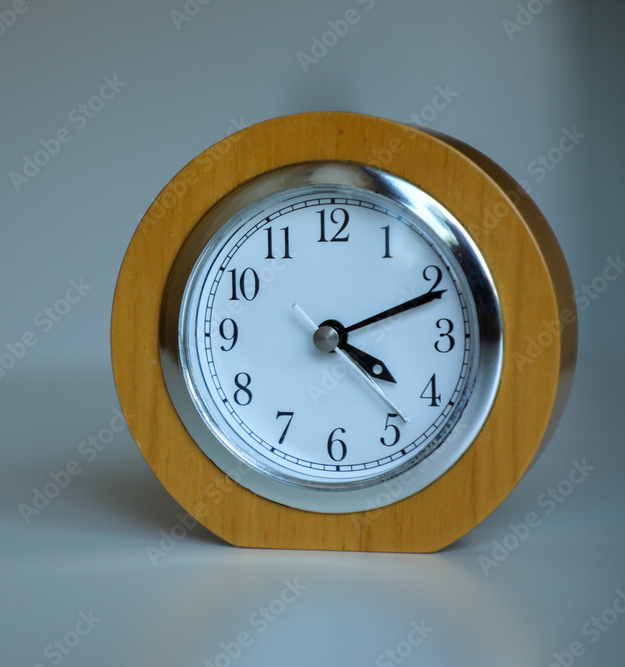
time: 4:11
